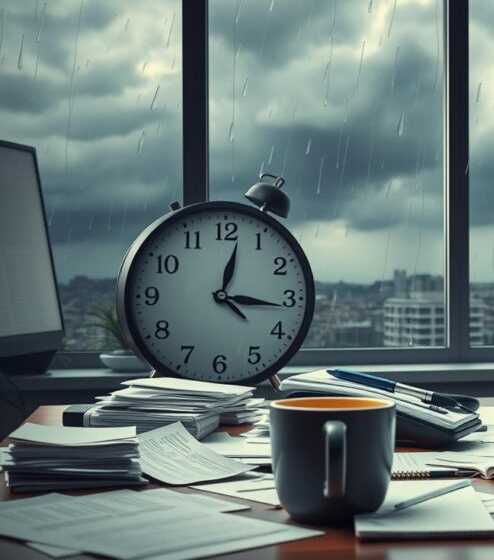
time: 12:16
